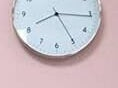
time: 8:15
